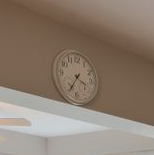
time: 3:35
